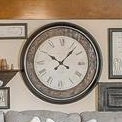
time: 10:06
